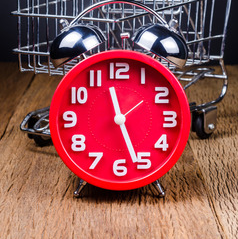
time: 11:26
